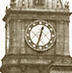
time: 12:32
